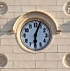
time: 6:03
